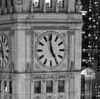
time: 4:58
